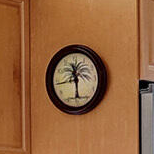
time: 11:29
